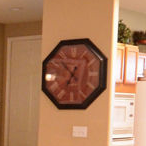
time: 6:52
